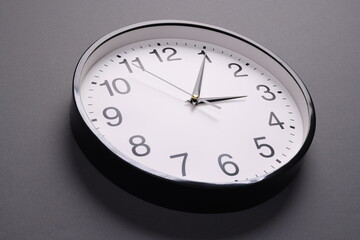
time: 3:05
